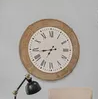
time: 6:43
